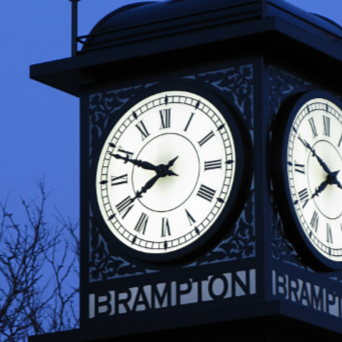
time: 7:48
